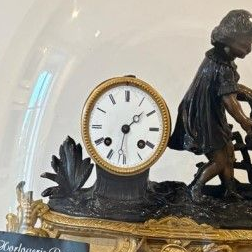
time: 1:31
